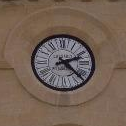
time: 2:22
